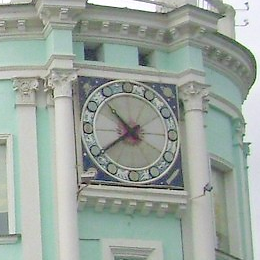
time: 10:39
